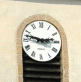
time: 2:47
